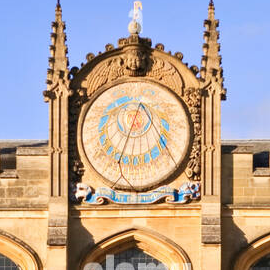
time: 4:34
